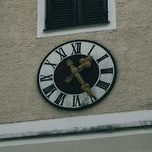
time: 1:24
